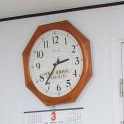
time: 2:36
